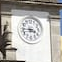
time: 3:44
